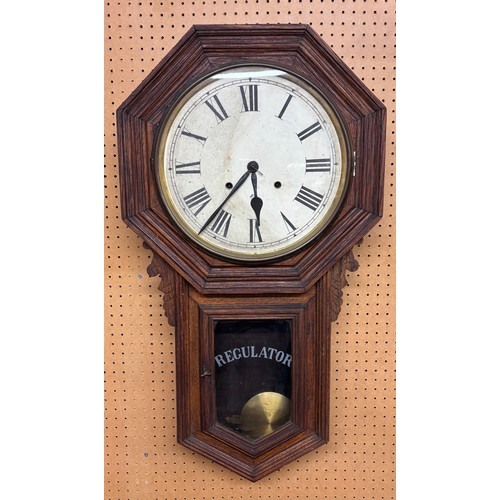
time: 5:36
